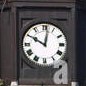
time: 10:01
